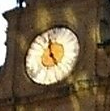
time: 4:57
